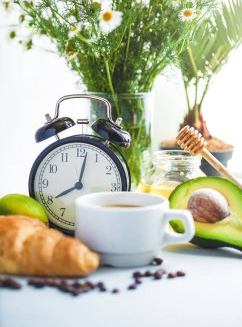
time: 8:02
